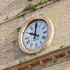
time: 10:00
